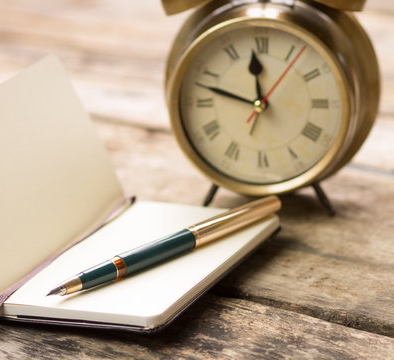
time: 11:47
